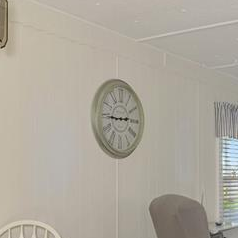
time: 2:45
